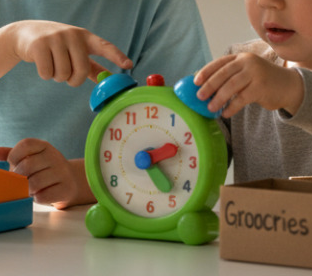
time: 2:22
